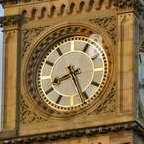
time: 8:26
